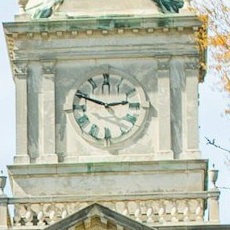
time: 2:48
